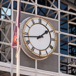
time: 1:43
